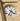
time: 4:35
